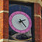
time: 2:23
